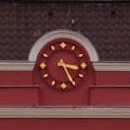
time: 3:25
